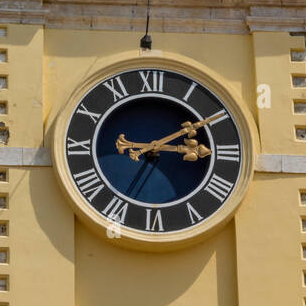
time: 3:09
